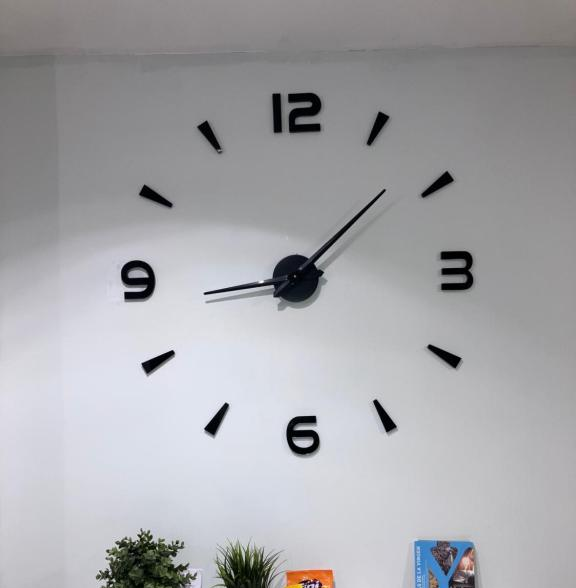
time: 1:43
